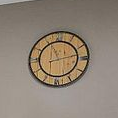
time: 11:13
